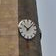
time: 10:07
